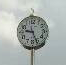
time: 9:26
